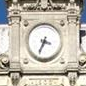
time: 3:34
